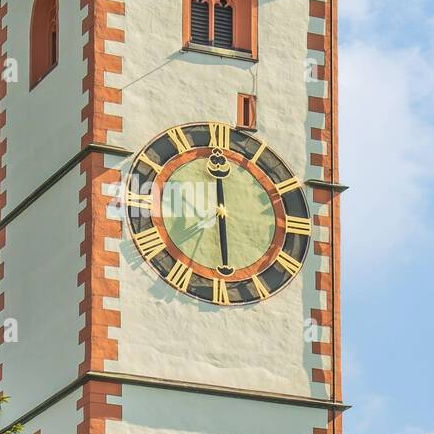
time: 5:59
